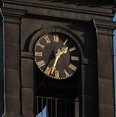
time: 1:33
